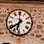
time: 6:38
